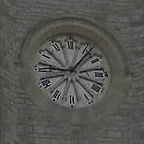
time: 9:06
